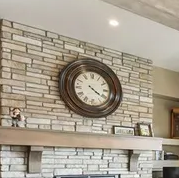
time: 4:20
